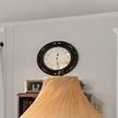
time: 12:28
